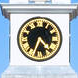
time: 4:34
